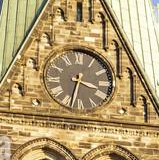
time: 3:32
